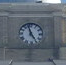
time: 4:57
